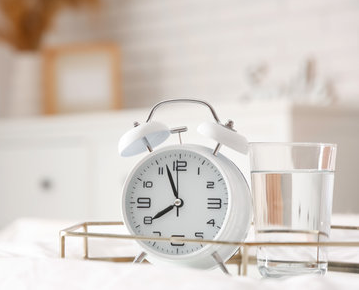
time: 7:56
